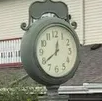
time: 12:39
